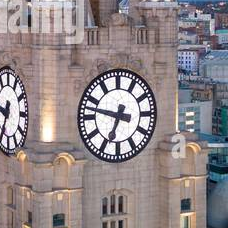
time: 6:47
